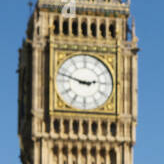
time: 2:48
